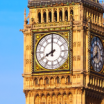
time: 7:59
